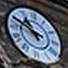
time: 10:48
